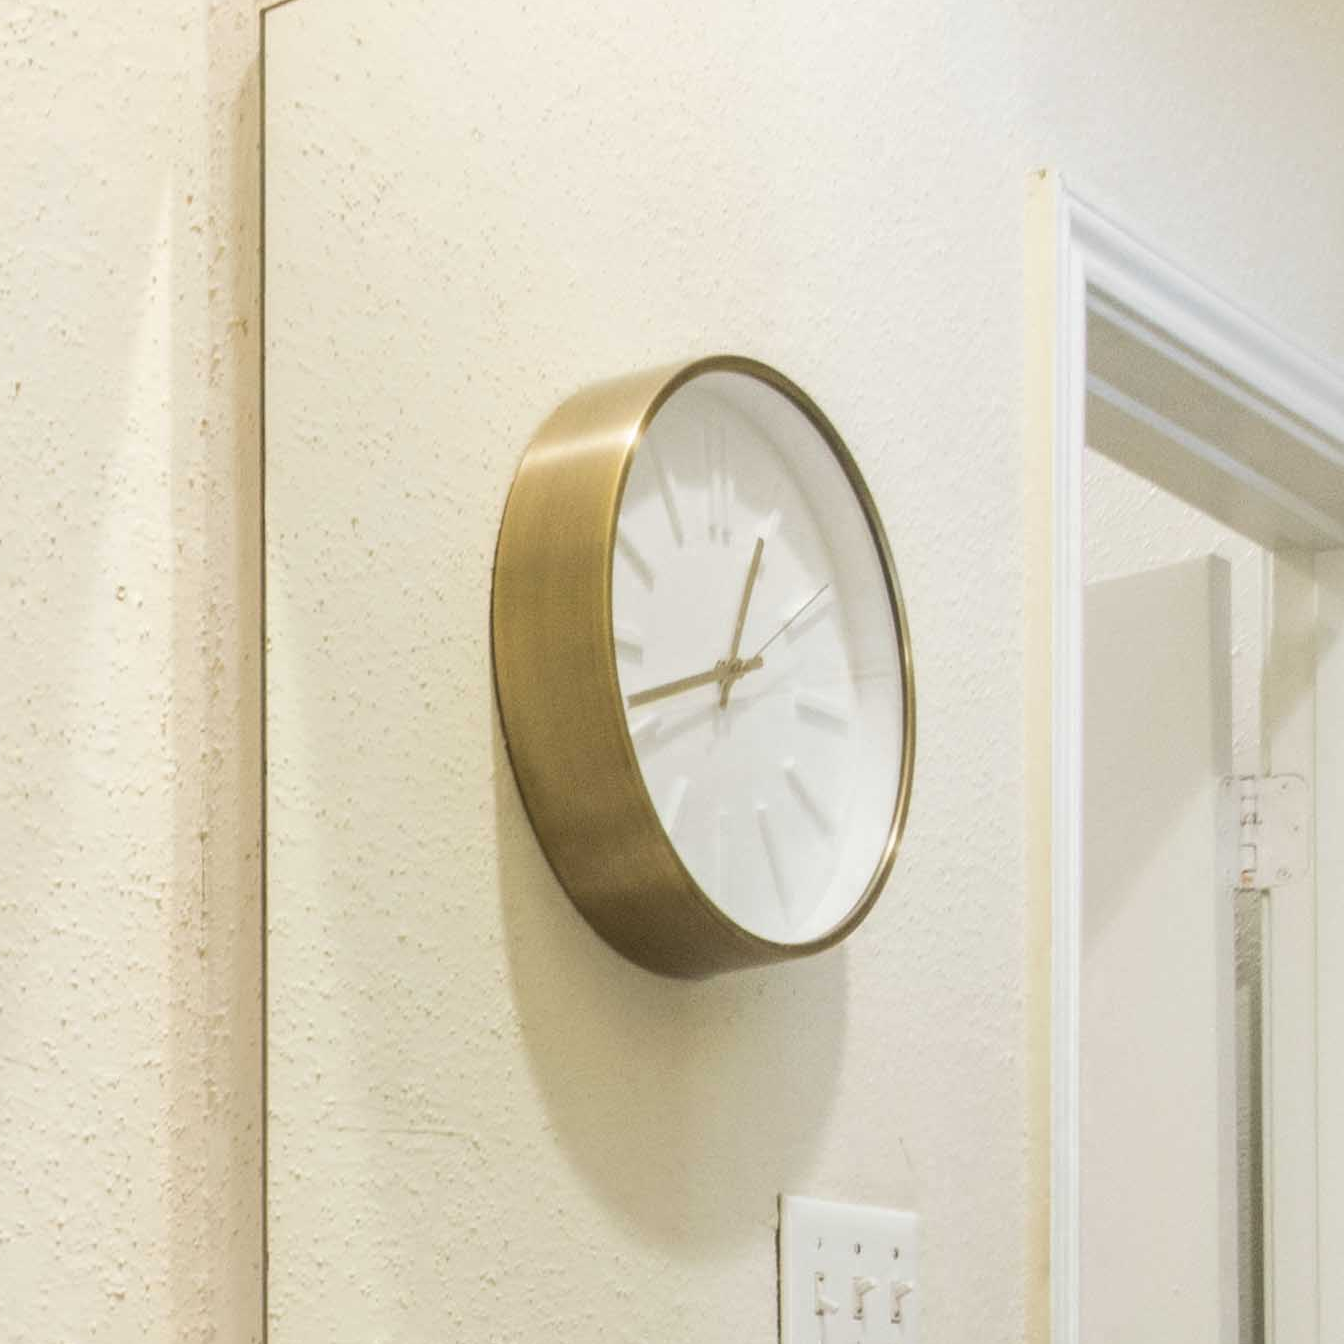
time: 12:42
